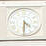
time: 4:30
